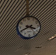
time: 3:40
